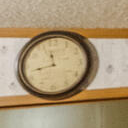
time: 11:42
